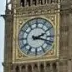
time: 2:18
